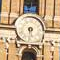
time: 5:30
